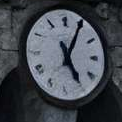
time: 5:04
